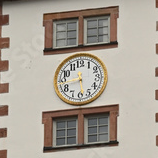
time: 5:43
